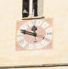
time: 11:48
